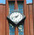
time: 1:42
